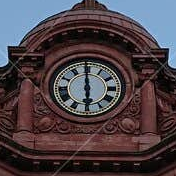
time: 5:59
